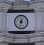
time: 12:33
